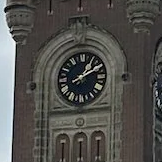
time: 1:10
